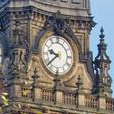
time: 9:38
